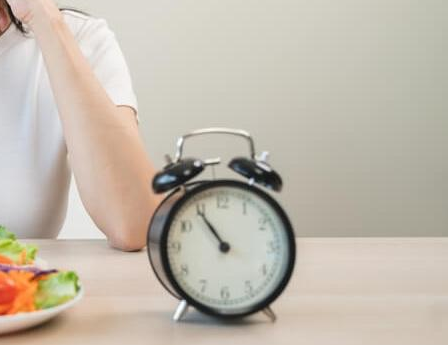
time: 10:54
